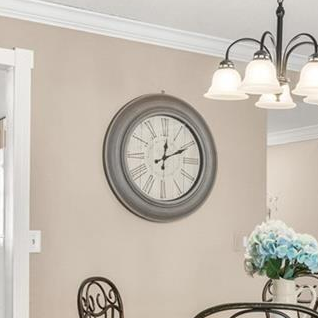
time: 12:10
